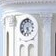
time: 5:33
